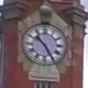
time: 10:24
